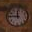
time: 11:46
